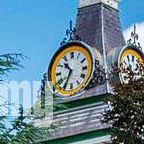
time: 10:34
